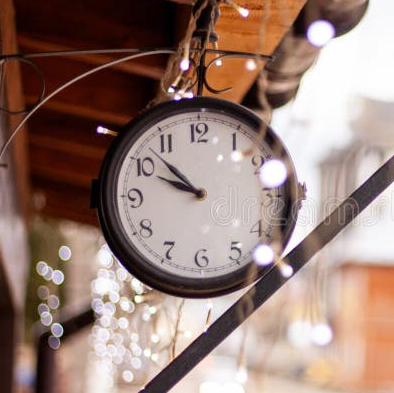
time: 9:52
